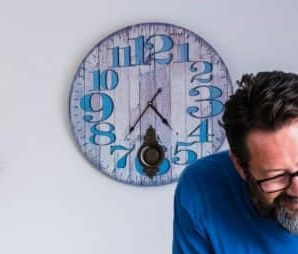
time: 4:36
